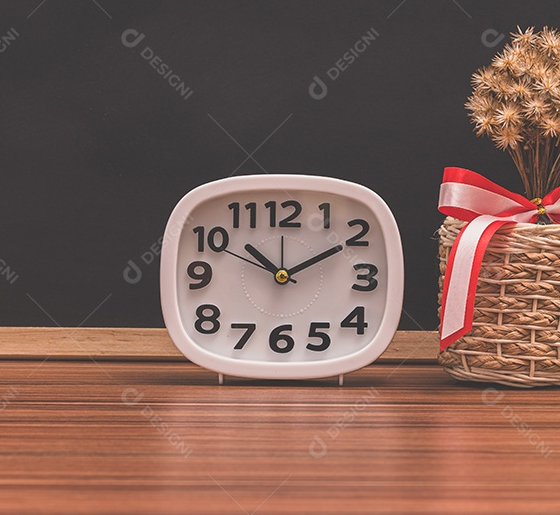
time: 10:10
